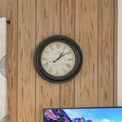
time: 1:08
